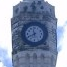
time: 11:40
